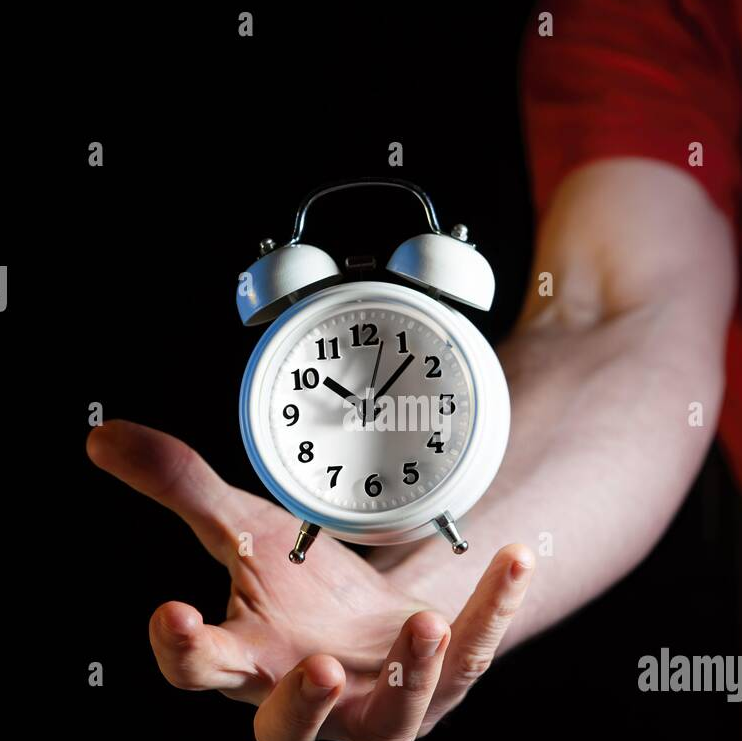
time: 10:07
